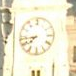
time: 7:43
